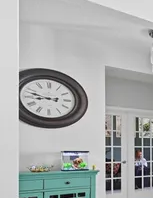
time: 8:47
